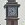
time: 10:41
